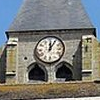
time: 12:05
